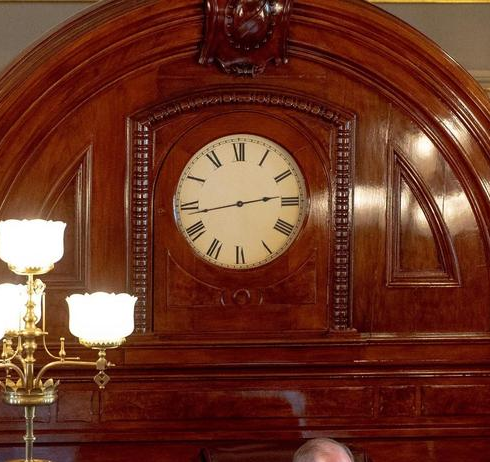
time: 2:43
